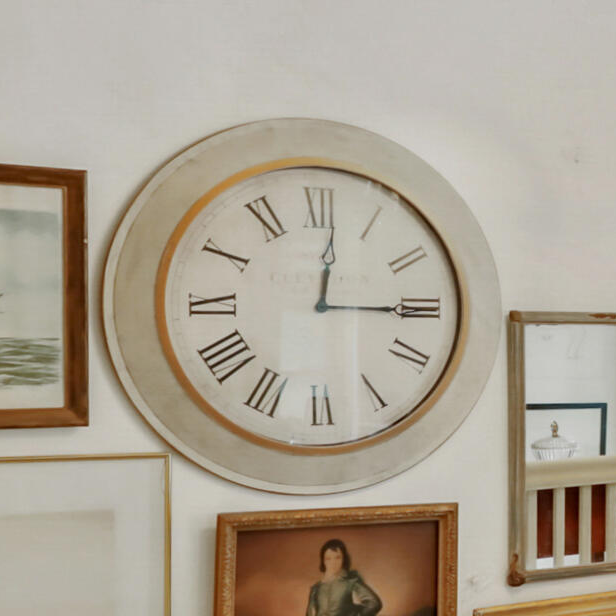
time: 12:15
